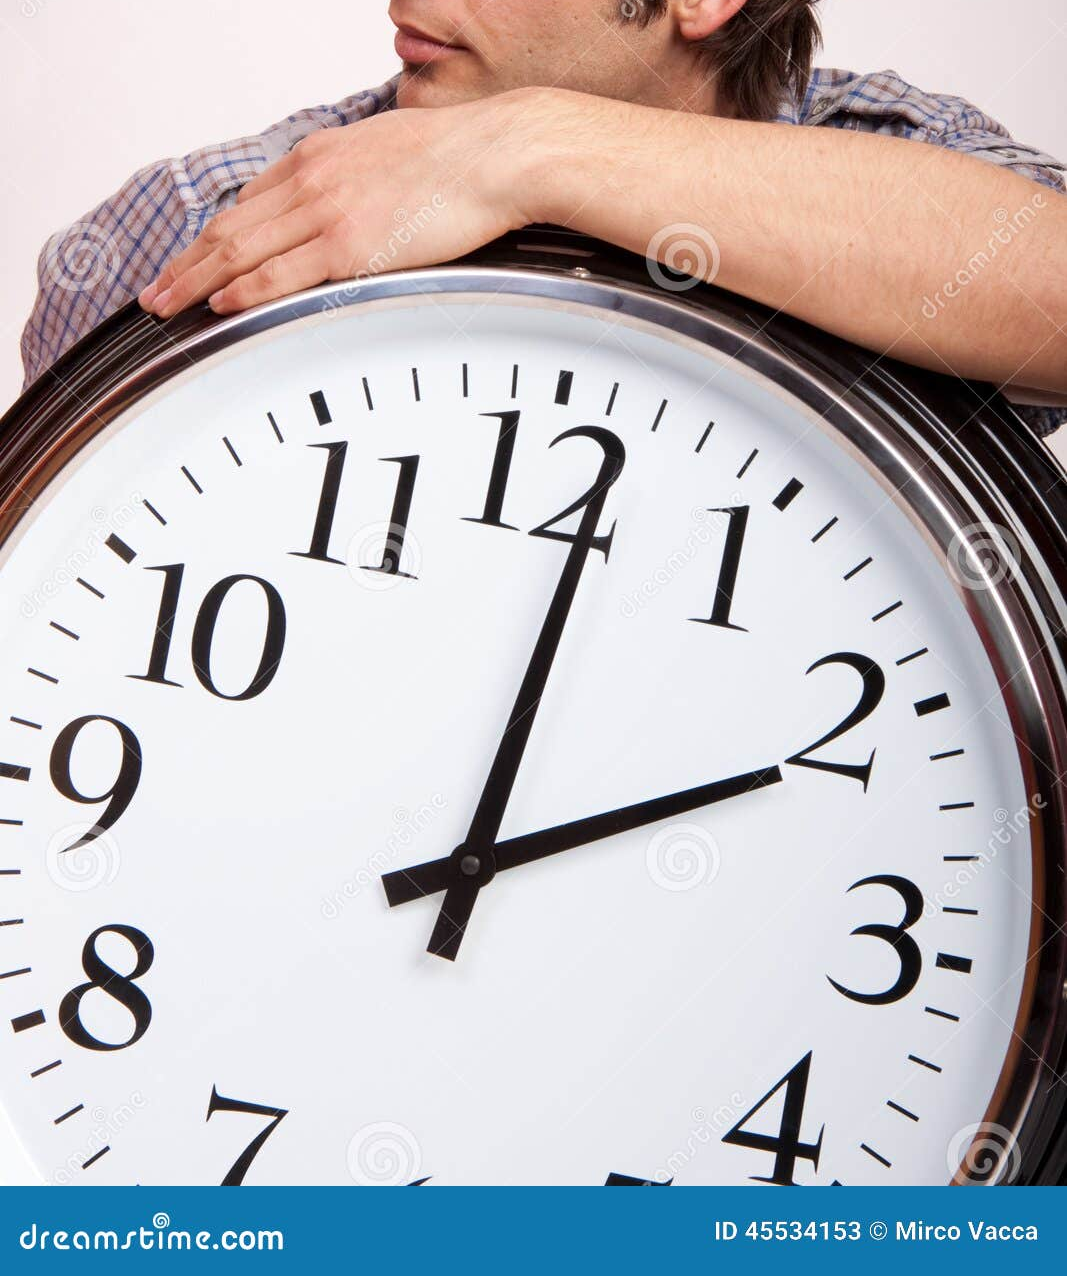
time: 2:01
